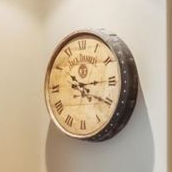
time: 4:14
